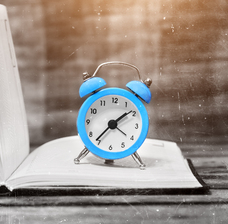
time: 1:36
